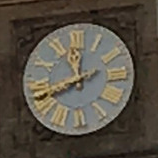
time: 11:41
